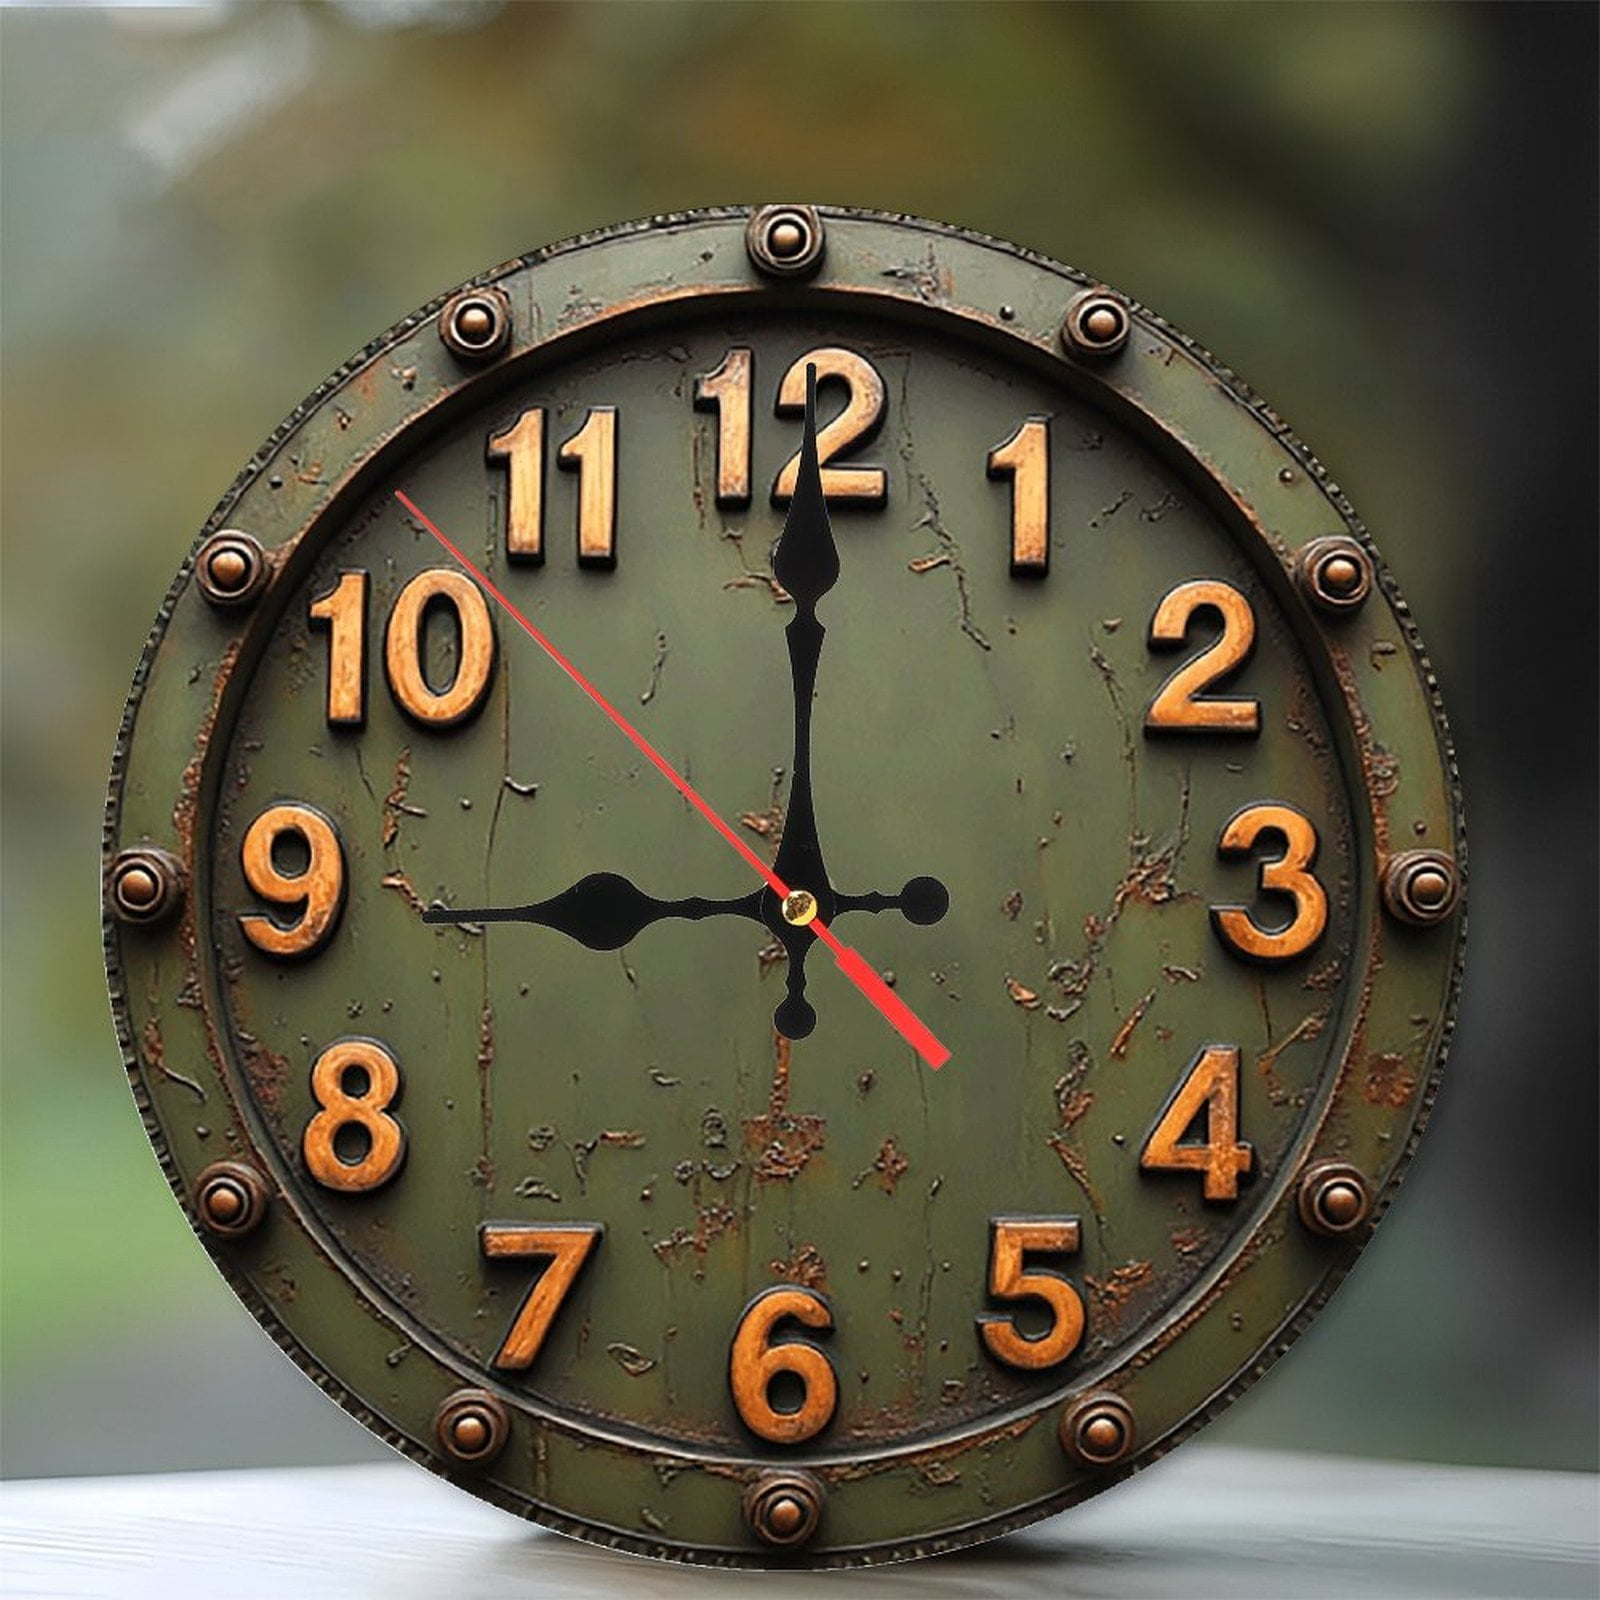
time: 9:00
